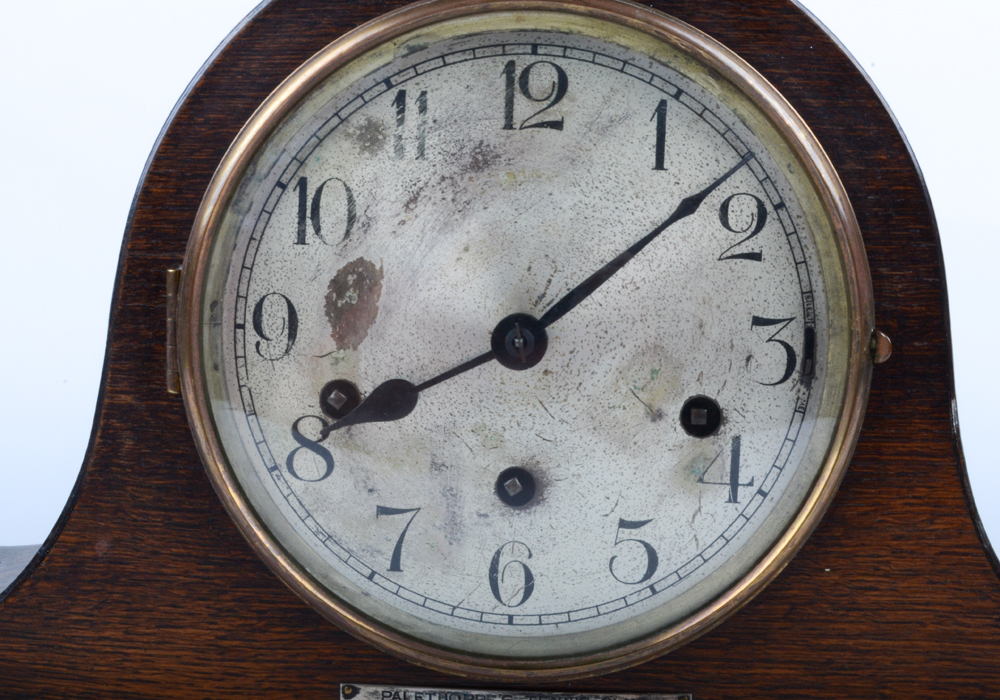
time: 8:08
